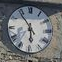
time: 5:53
